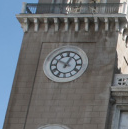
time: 12:49
